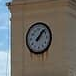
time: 1:07
